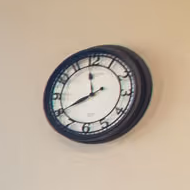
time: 7:58
